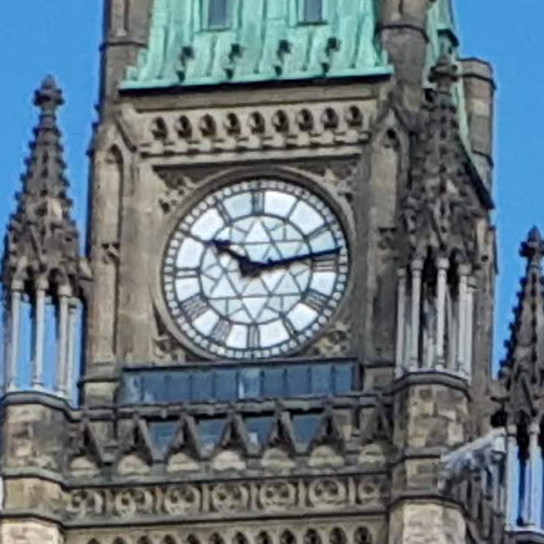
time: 10:13
